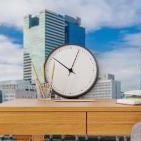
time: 10:03
